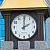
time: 2:00
